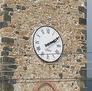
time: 2:09
